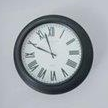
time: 9:57
